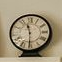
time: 11:30
